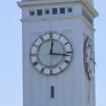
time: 12:16
